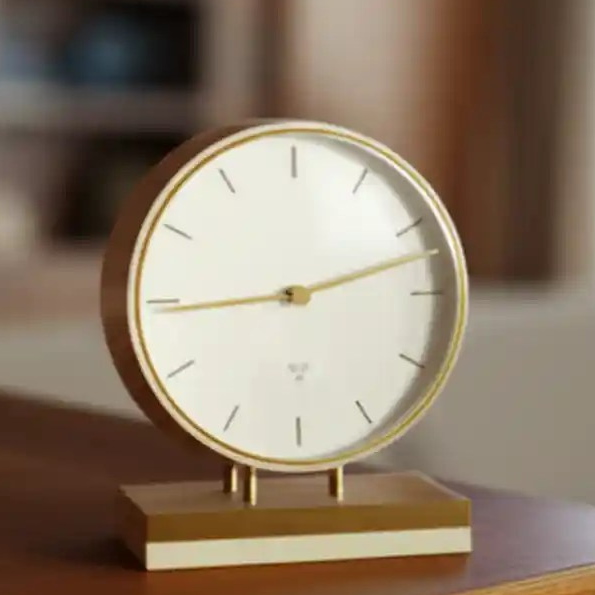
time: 2:44
